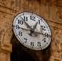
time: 12:52
